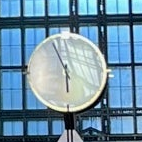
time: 5:55
